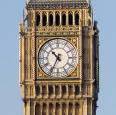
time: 10:34
